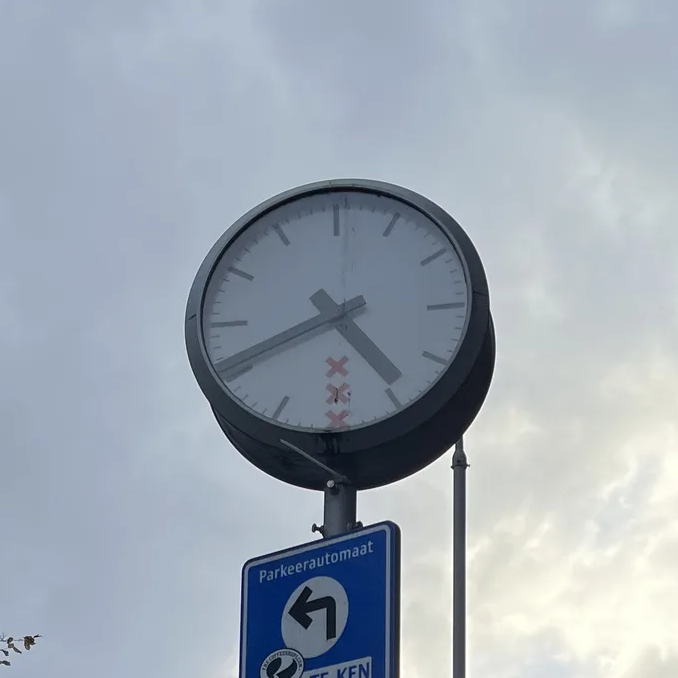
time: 4:41
